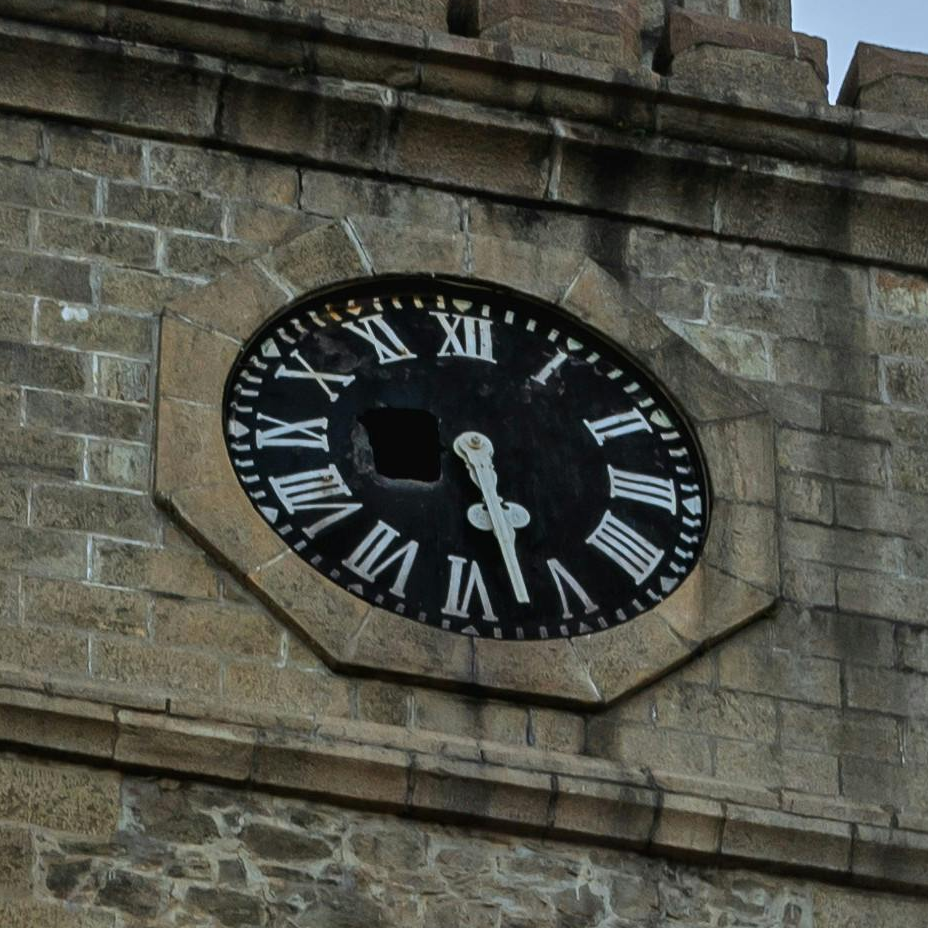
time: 5:27
